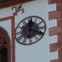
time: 12:18
